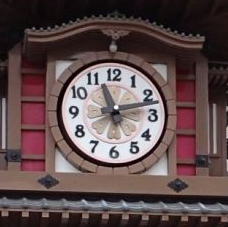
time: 11:12
